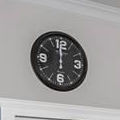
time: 11:59
